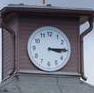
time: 3:14
